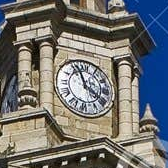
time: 3:56
